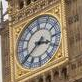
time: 3:39
